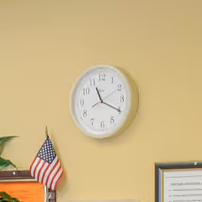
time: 11:19
